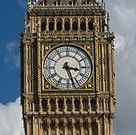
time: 3:27
